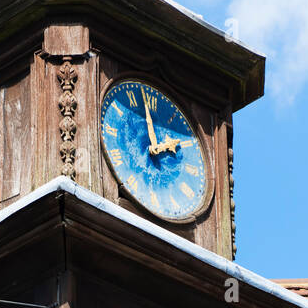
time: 1:58
